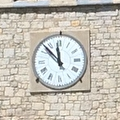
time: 11:52
